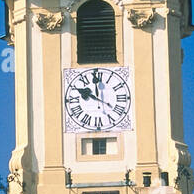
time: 9:59
